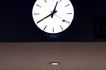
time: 12:40
